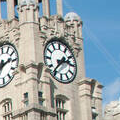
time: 2:36
